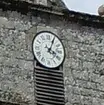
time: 4:04
